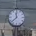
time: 11:37
